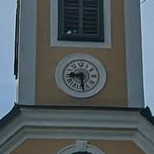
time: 8:28
